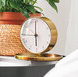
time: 5:59
